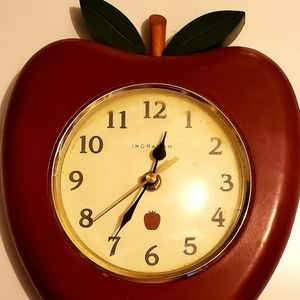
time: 12:35
